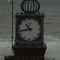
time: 10:43
